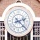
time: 2:21
